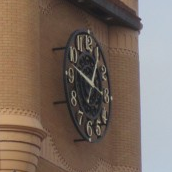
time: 12:48
